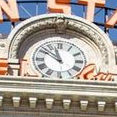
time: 10:50
